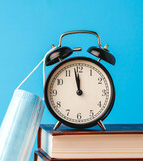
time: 11:58
